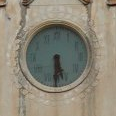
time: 5:30
